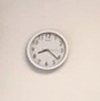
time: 8:21
